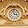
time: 2:58
